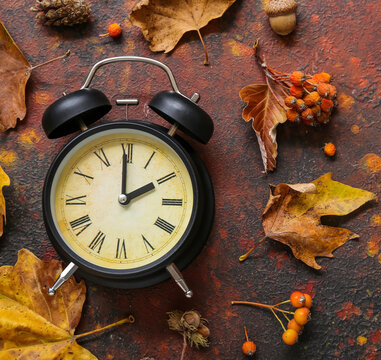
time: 1:59
